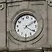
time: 4:09
